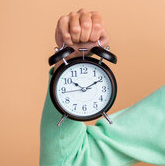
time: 10:10
